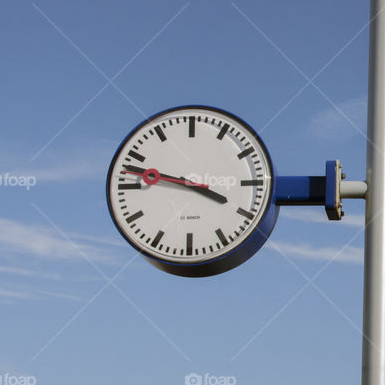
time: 3:47
